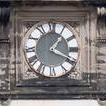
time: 1:19
